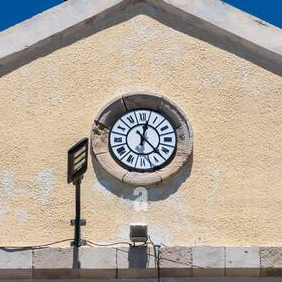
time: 12:22
